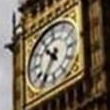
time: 10:36
